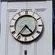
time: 4:36
